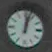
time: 12:02
